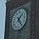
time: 1:24
